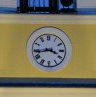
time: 3:43
